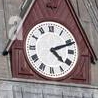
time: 4:11
